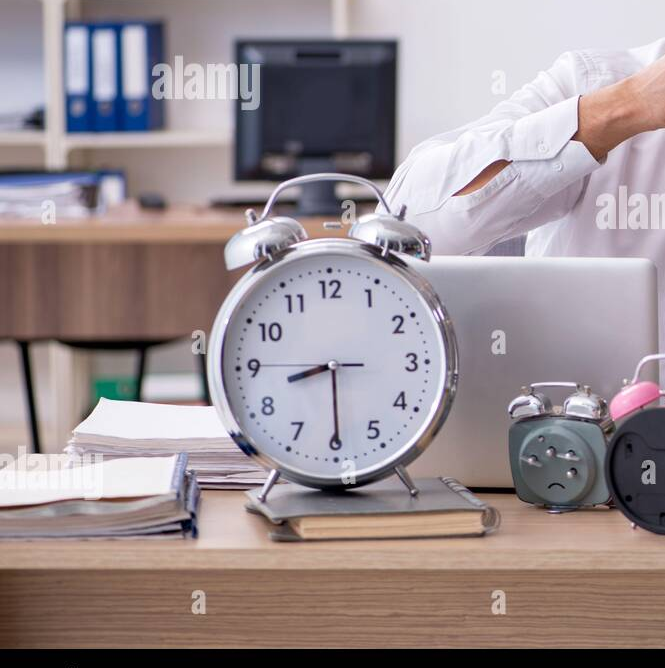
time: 8:29
